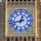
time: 12:42
